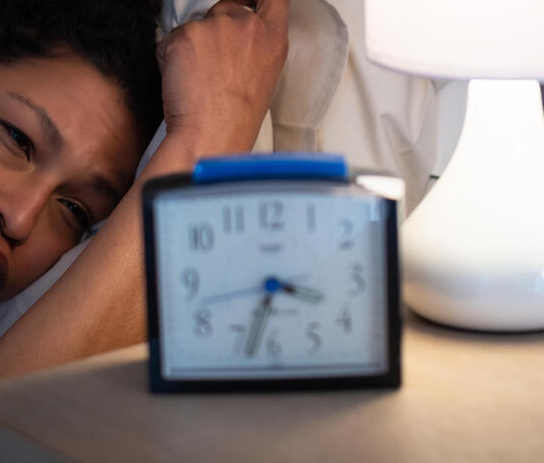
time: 3:33
